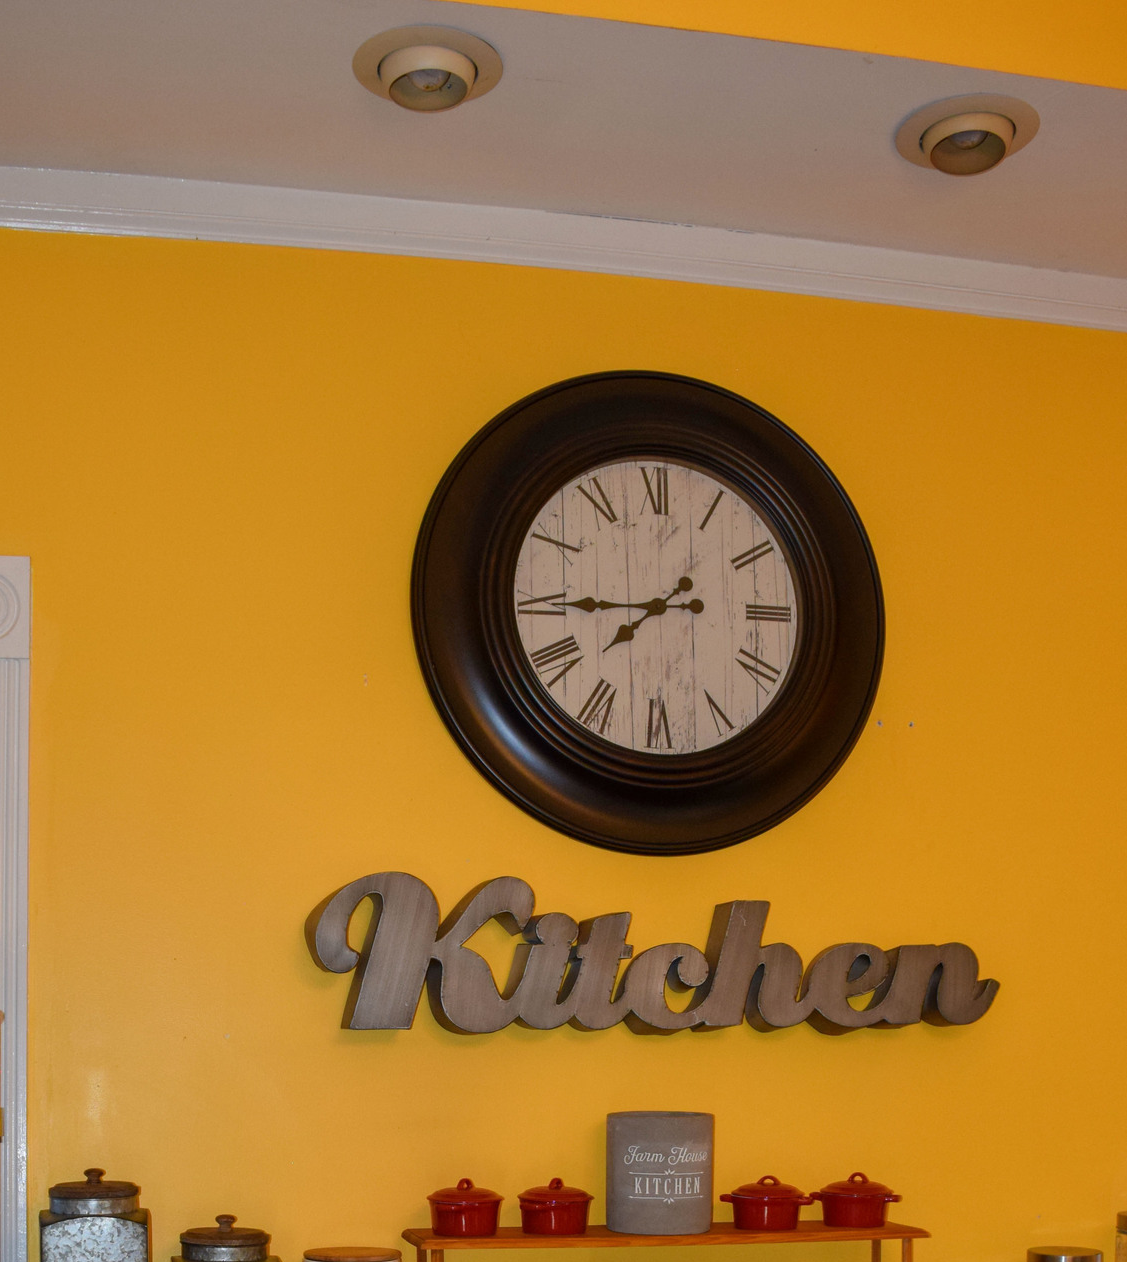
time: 7:44
